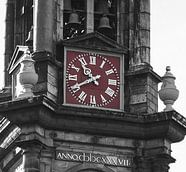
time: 10:40
